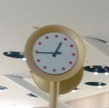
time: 12:44
